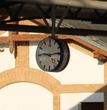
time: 9:13
